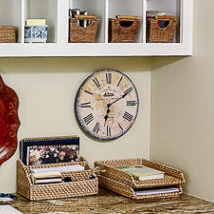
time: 6:10
